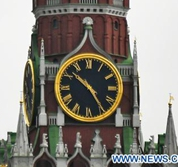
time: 10:24
